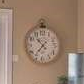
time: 10:36
